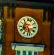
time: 8:27
